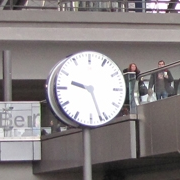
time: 9:26
